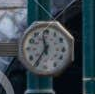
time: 11:35
